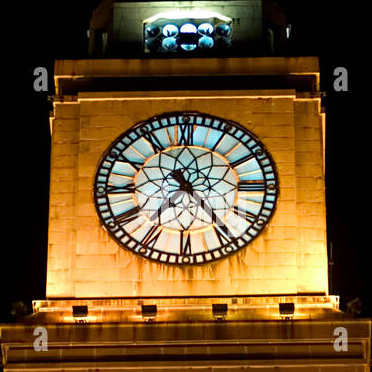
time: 7:24
